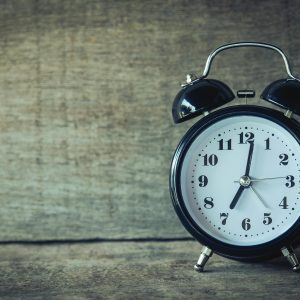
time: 7:01
